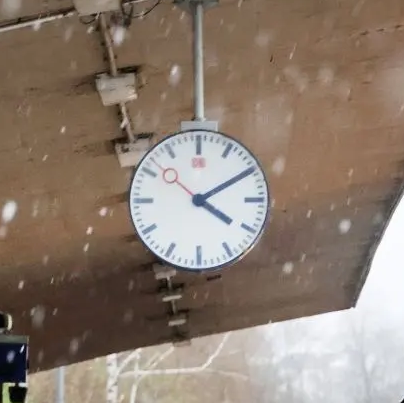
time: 4:09
